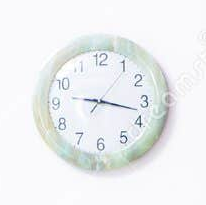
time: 9:17
